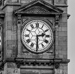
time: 2:30
